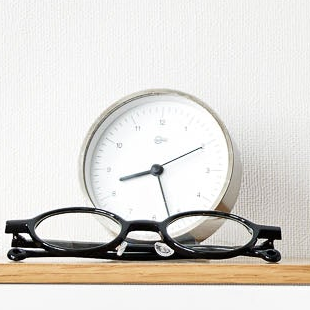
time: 8:26
